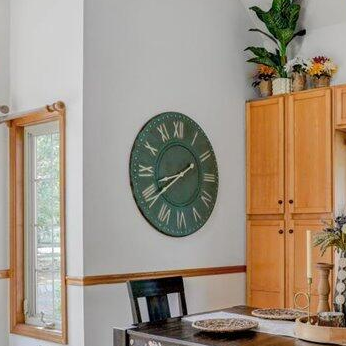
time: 8:39
